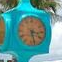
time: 3:27
